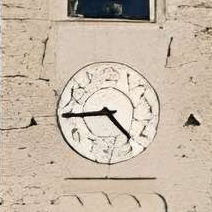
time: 4:44
